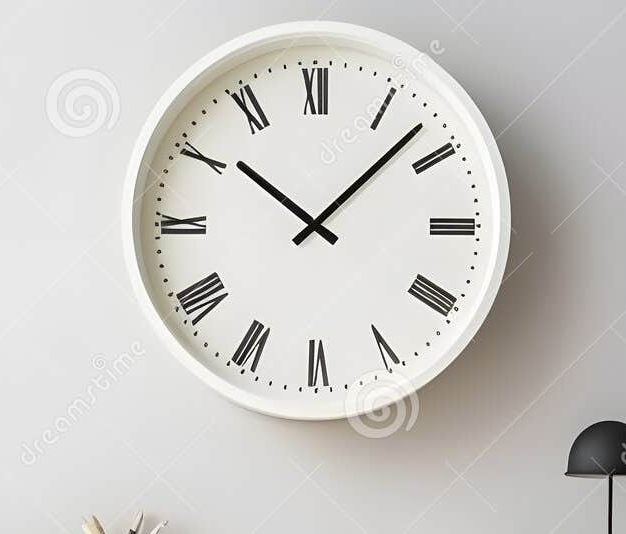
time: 10:07
